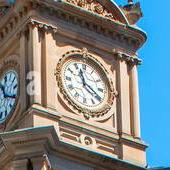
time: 11:19
